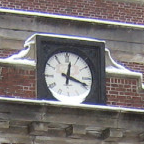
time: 12:18
